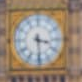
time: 3:29
